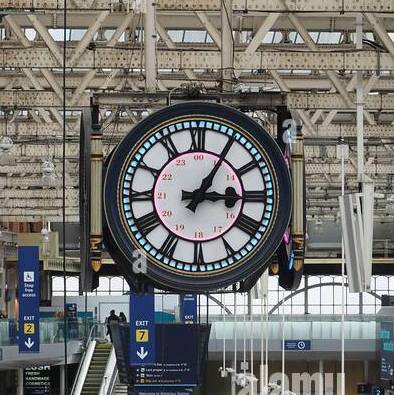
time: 3:05
